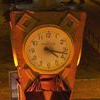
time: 4:17
